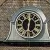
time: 6:00
